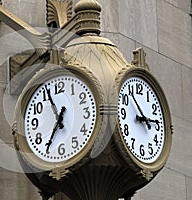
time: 2:53
